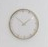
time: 1:52
